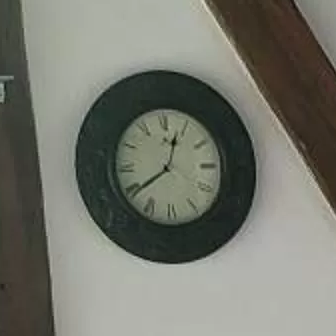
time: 12:39
